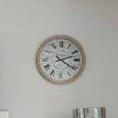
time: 2:20
